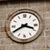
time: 3:40
